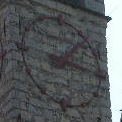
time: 1:16
